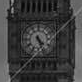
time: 4:26
